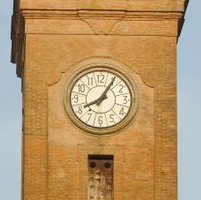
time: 8:05
